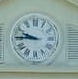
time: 9:45
